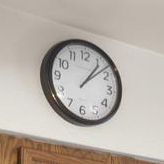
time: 1:07
